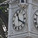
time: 11:19
